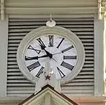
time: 10:43
